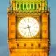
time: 8:27
